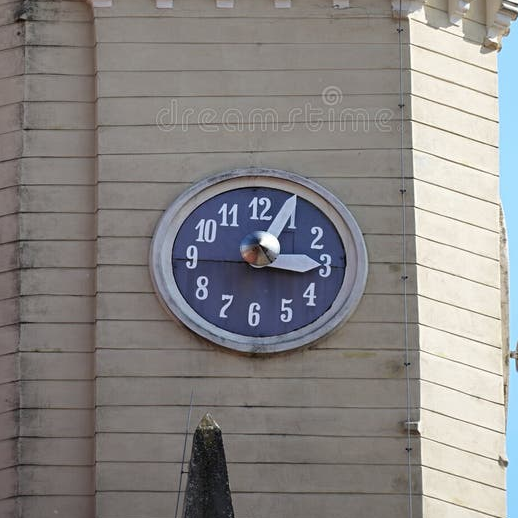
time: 3:04
